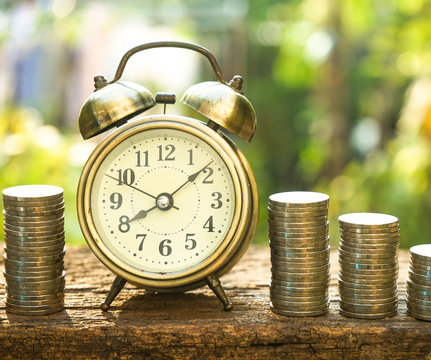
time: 8:08
